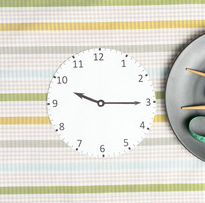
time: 9:15
